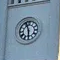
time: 5:56
